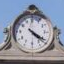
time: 4:20
